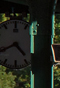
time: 4:40
